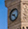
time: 9:22
